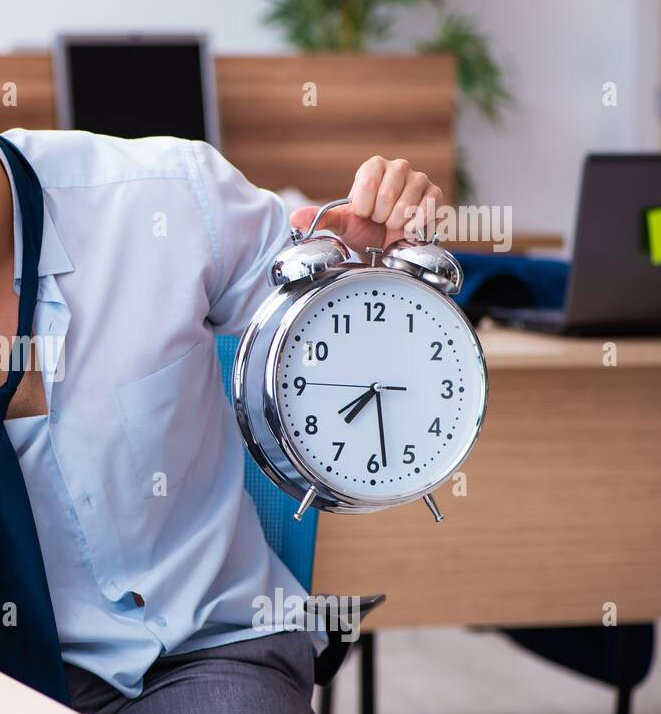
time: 7:28
